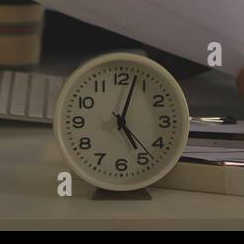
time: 5:03
